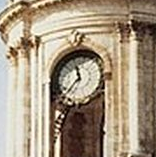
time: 11:37
